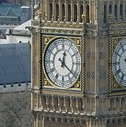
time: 12:21
